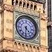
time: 4:31
